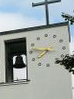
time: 7:46
